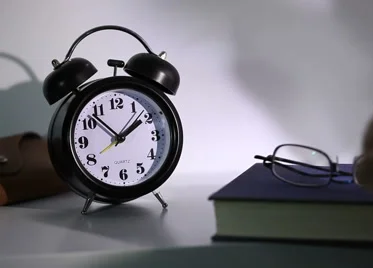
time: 1:52
